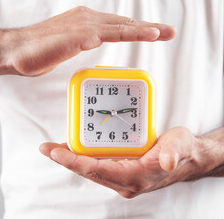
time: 9:13
